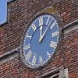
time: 12:07
